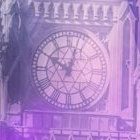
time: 10:02
